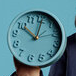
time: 10:00
